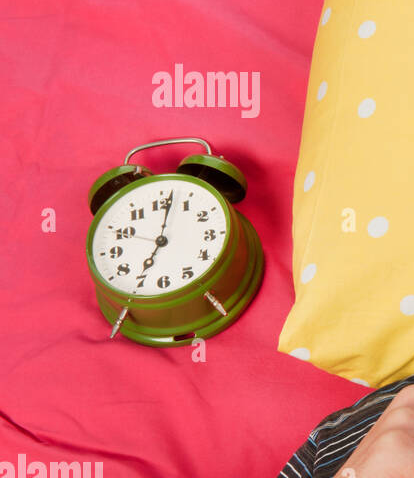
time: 7:01
